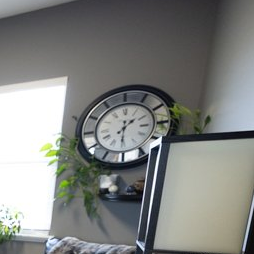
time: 1:30
